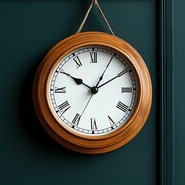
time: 10:04
